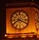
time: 8:18
